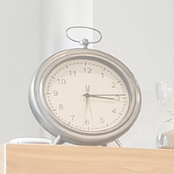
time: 3:14
